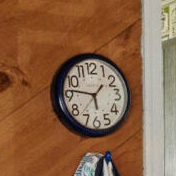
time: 1:46
